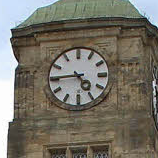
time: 4:44
